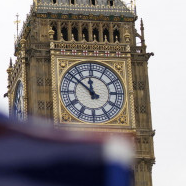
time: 11:51
